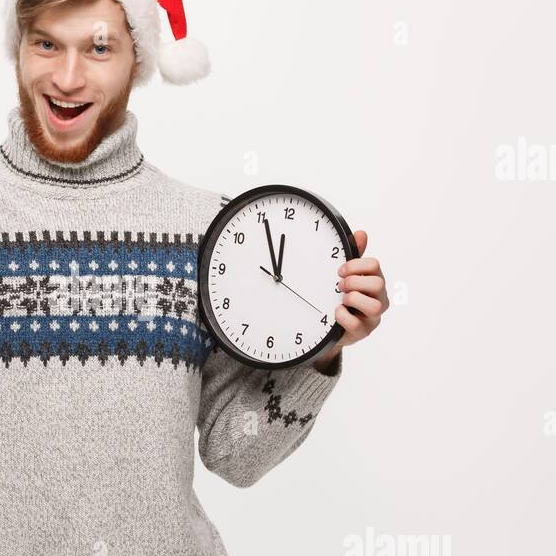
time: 11:55
